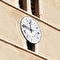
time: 11:46
